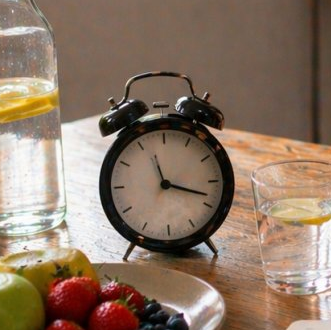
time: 11:18
